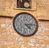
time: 4:13
